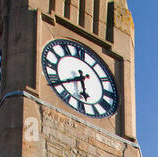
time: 5:38
